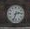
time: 2:33
